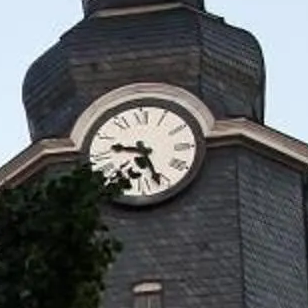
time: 9:26
